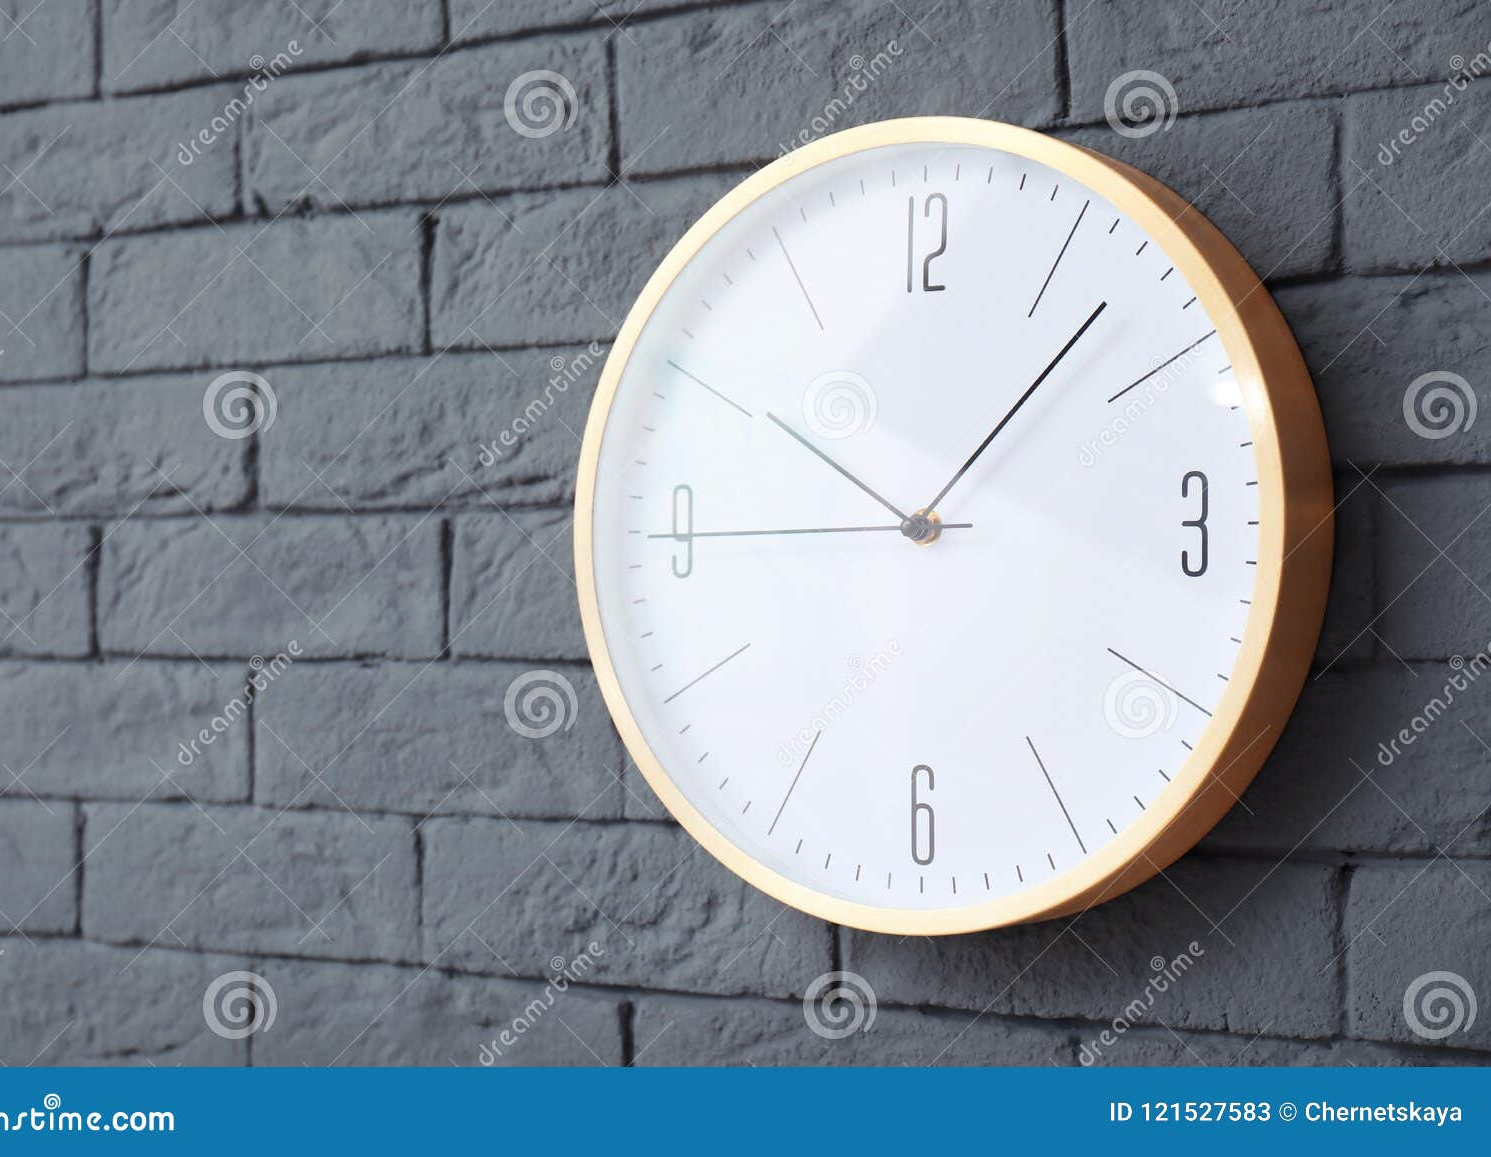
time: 10:07
